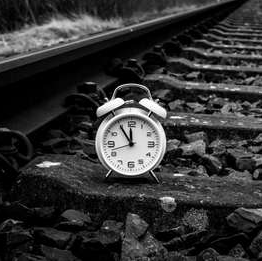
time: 11:54
